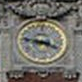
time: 3:46
